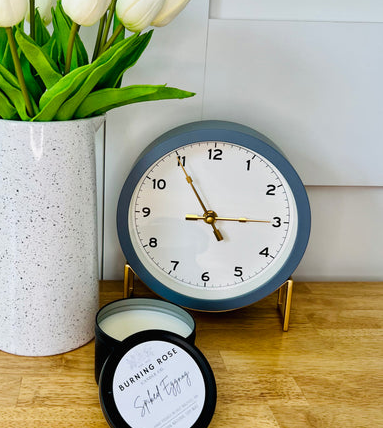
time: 2:54
